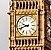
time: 9:42
